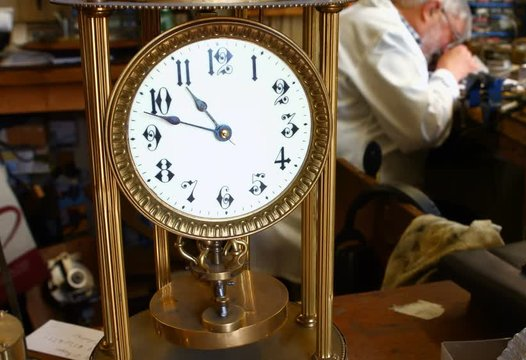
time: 10:47
